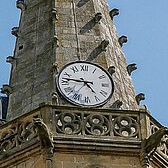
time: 4:46
